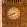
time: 7:40
